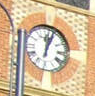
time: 12:03
